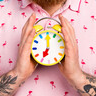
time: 7:00
